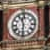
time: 11:31
